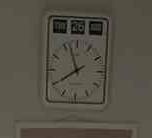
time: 7:56
